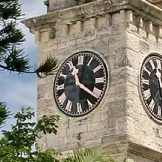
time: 11:21
